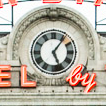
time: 5:05
